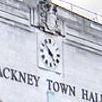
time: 4:52
